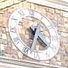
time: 4:33
